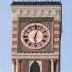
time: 12:28
